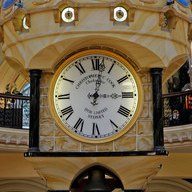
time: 3:01
